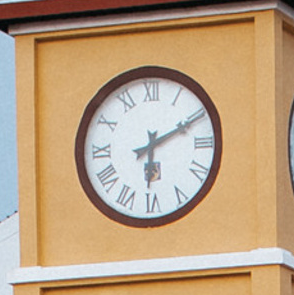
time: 6:10
